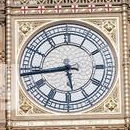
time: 5:43
